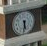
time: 5:31
